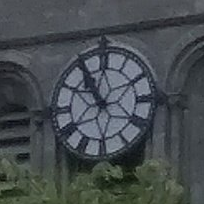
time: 10:55
